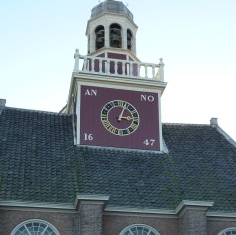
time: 3:02
